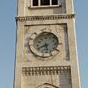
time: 5:40
